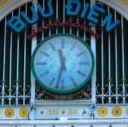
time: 11:32
